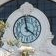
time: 3:58
